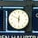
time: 5:49
